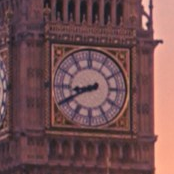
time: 8:40
